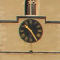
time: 10:24
